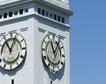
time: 11:05
